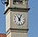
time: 11:03
